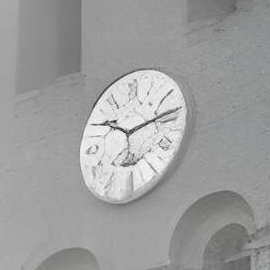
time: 10:13
